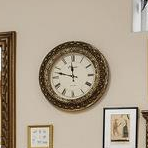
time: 11:47
